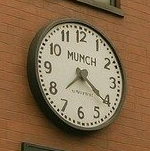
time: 7:20
